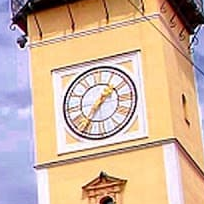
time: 1:36
